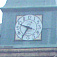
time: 9:35
